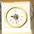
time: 9:28
